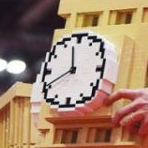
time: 11:40
